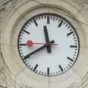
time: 11:40
